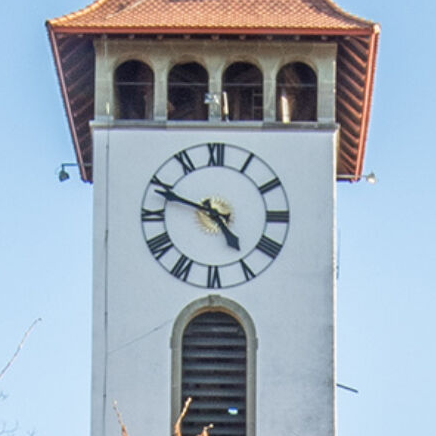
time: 4:48
